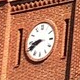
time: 8:40
